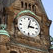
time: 3:02
